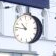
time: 10:47
